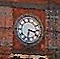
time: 3:32
